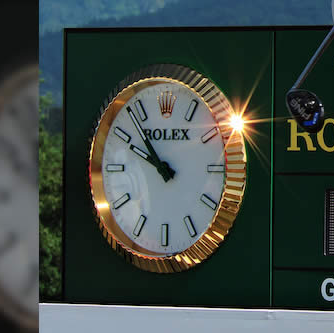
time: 9:53
